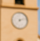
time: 7:12
